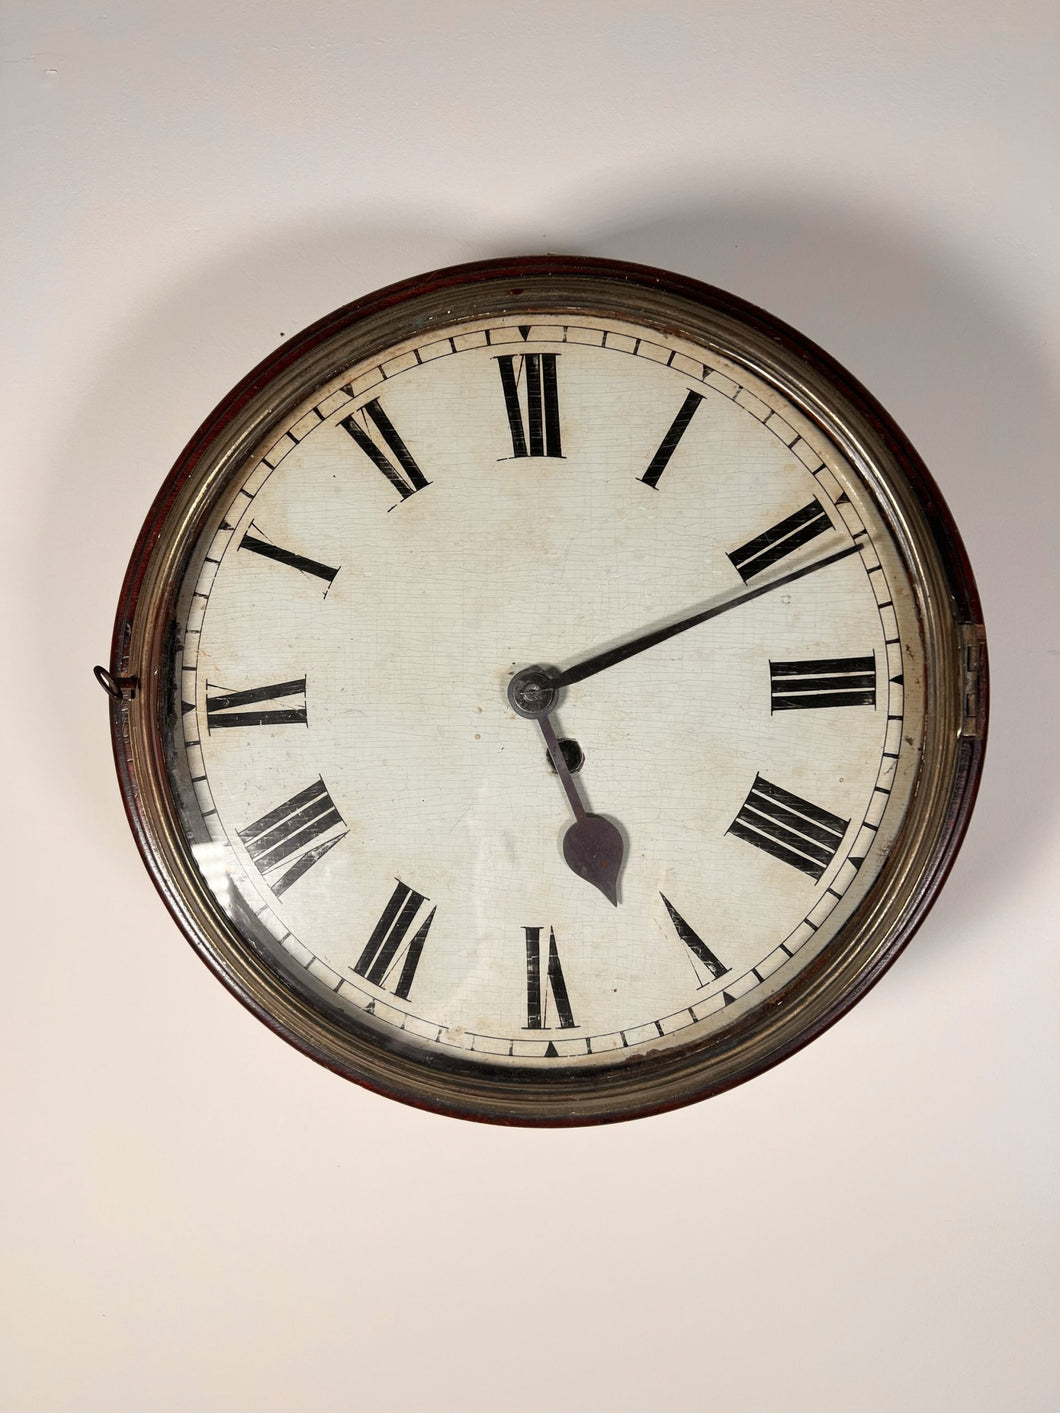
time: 5:11
